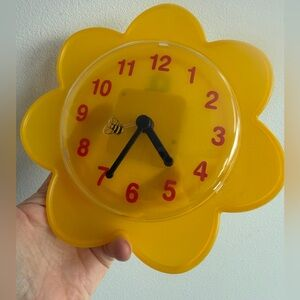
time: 4:34
